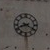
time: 8:20
